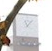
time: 11:07
